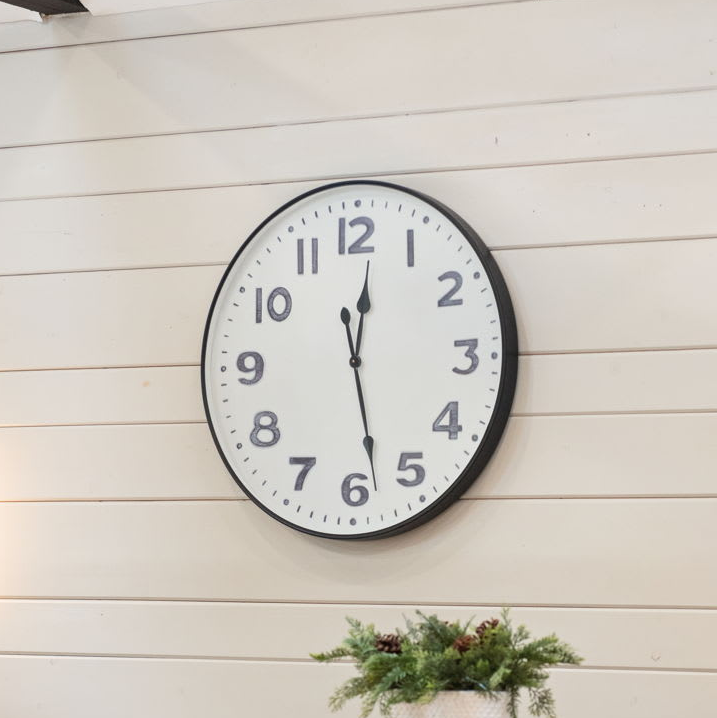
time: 12:28
